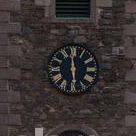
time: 5:59
